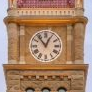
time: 12:53
